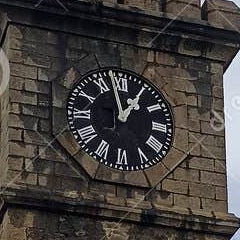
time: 12:58
